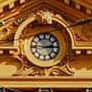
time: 2:45
